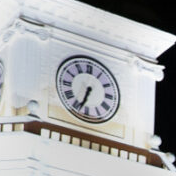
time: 6:33
